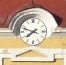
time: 7:47
